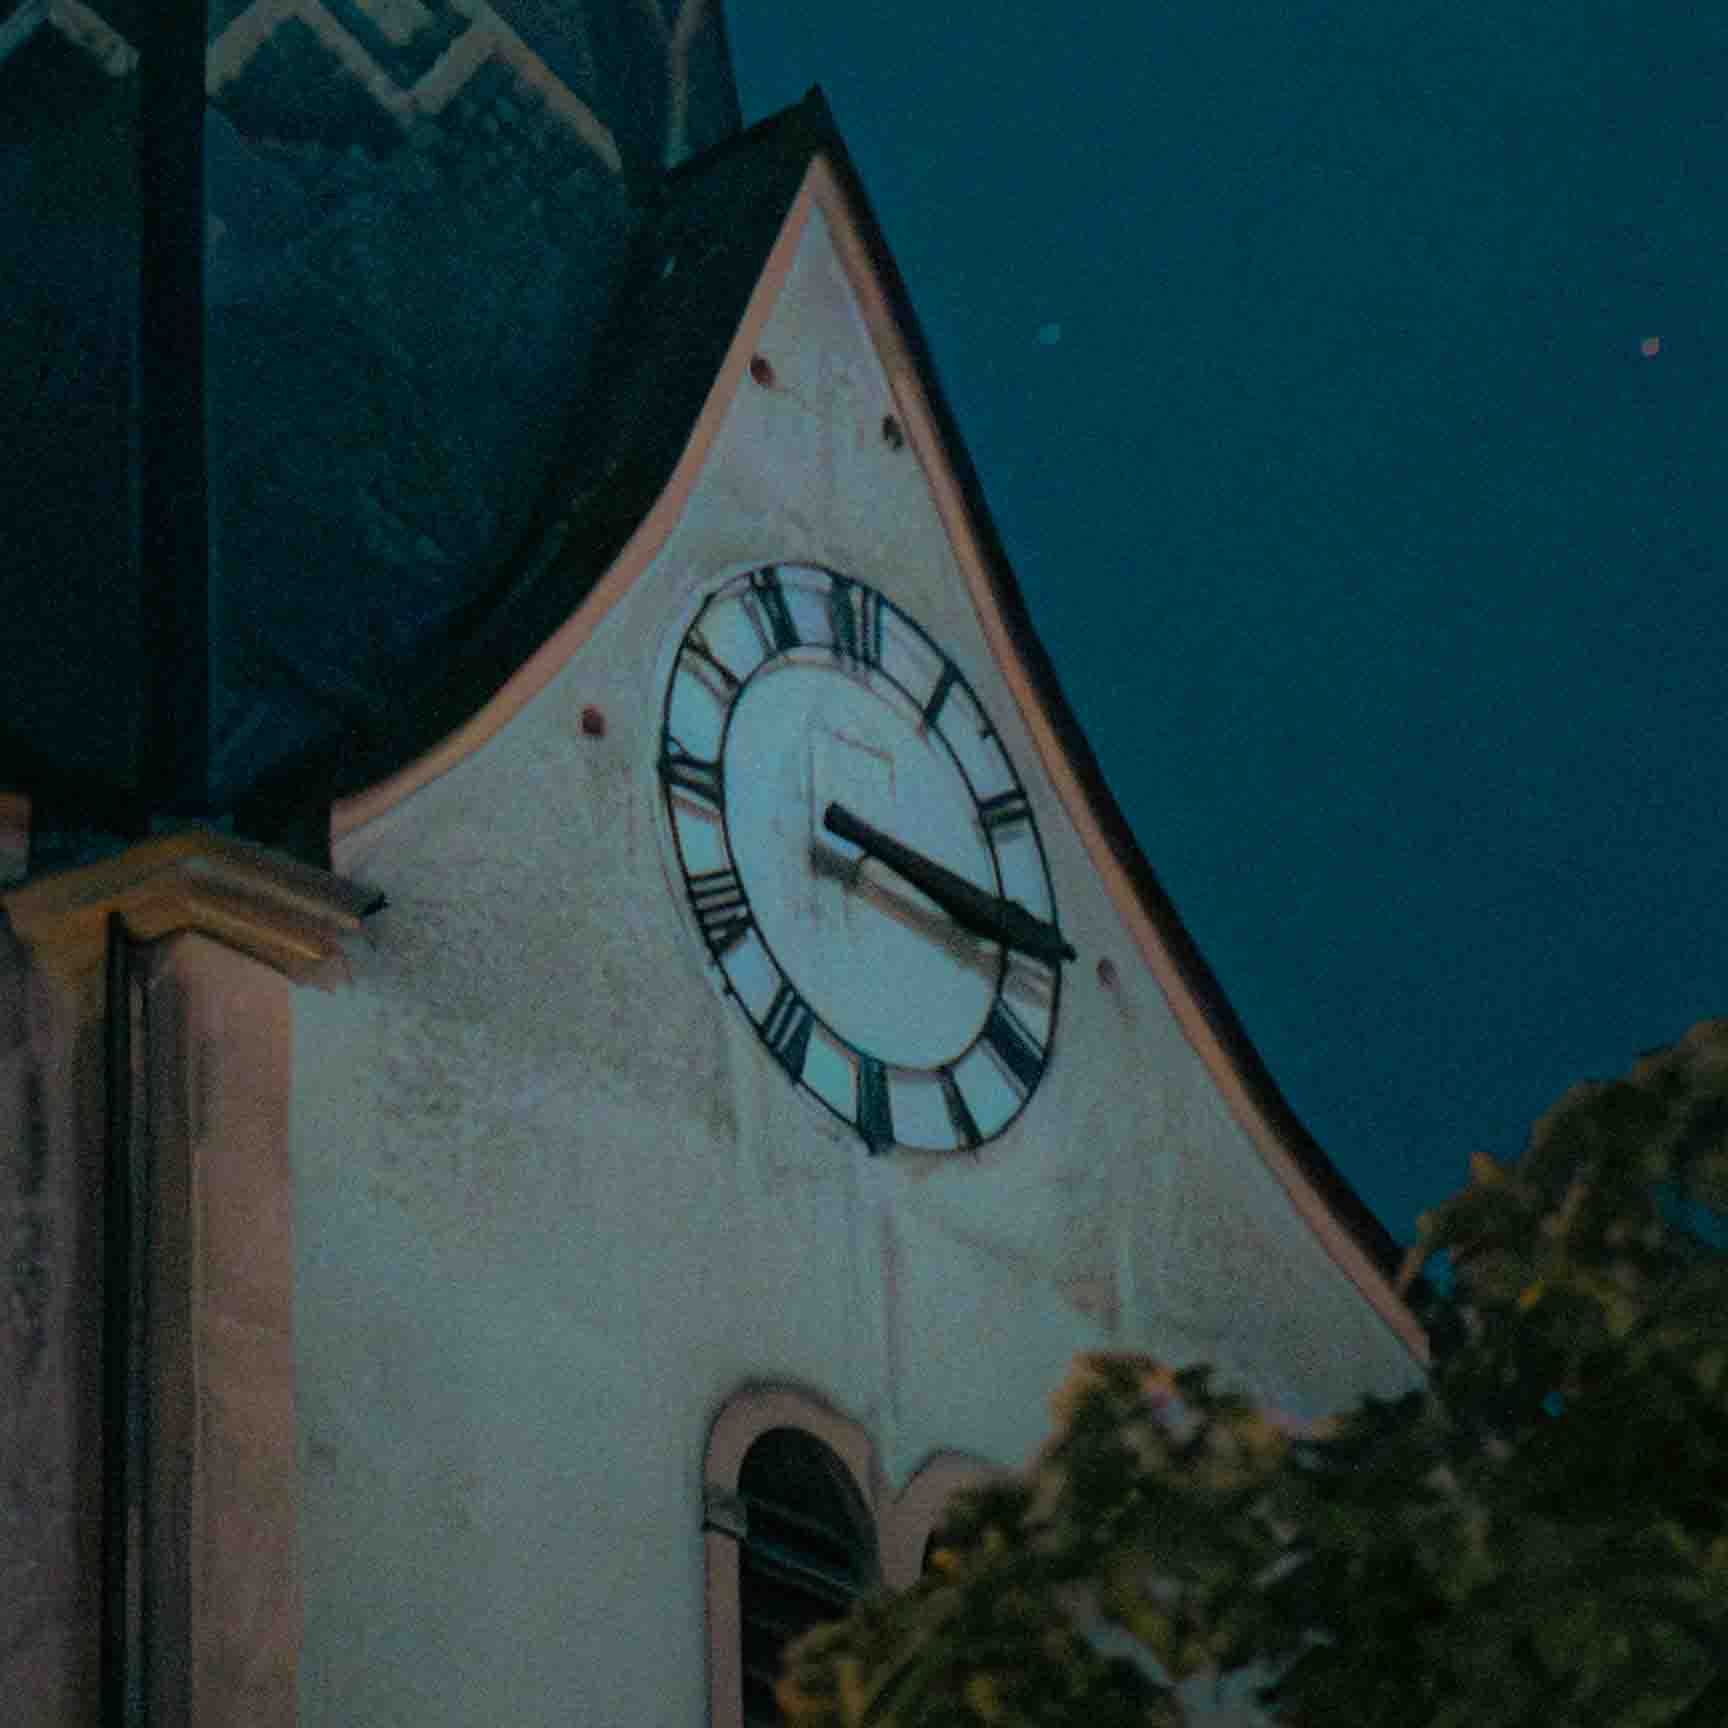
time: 3:15
